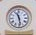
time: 11:28
